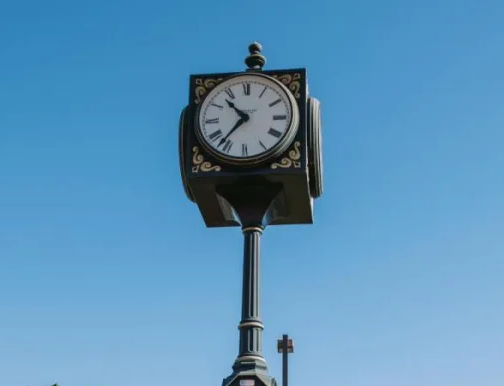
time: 10:36
